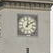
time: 12:09
